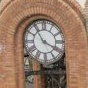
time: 3:54
